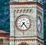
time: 7:23
